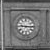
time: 9:15
